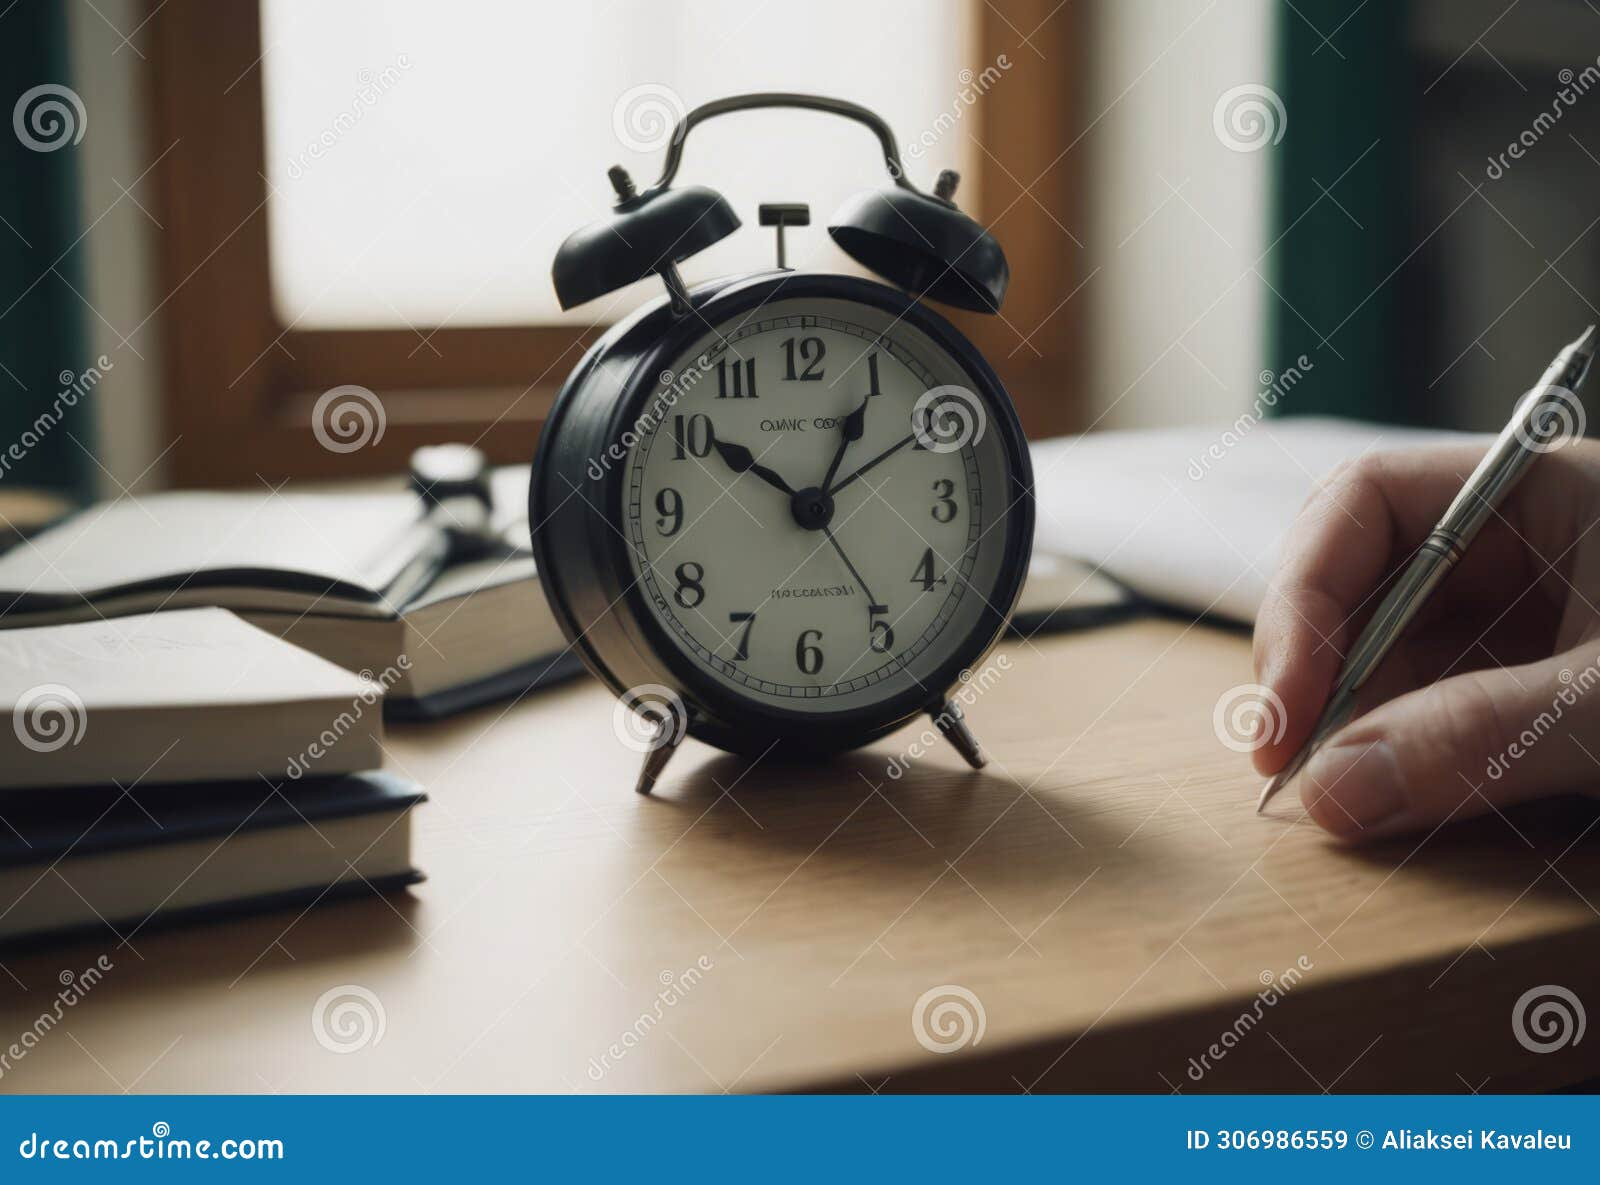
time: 10:05
